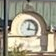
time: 12:16
